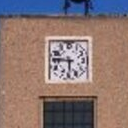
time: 5:45
